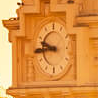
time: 9:44
